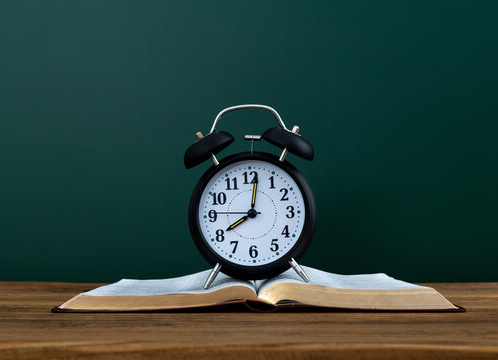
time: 8:01
